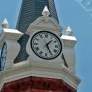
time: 1:25
